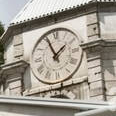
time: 1:56
